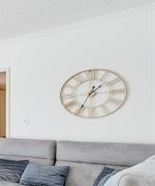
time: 1:35
